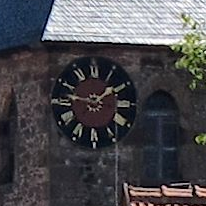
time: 1:46
